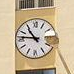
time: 10:46
